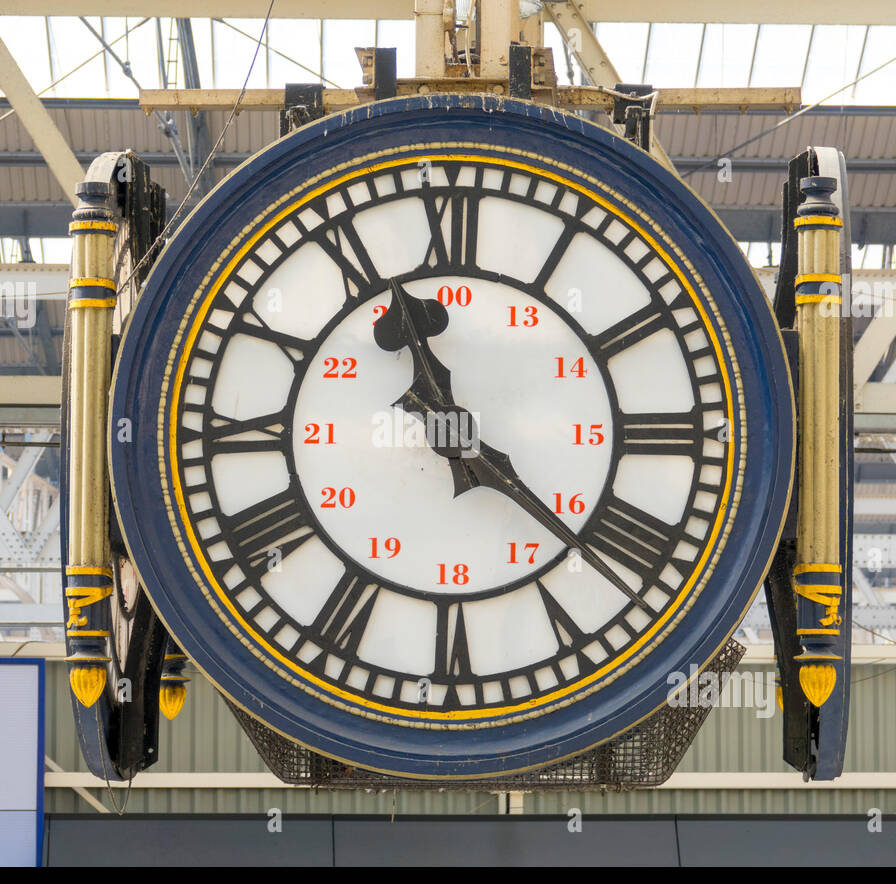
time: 11:21
